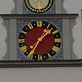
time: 1:35
